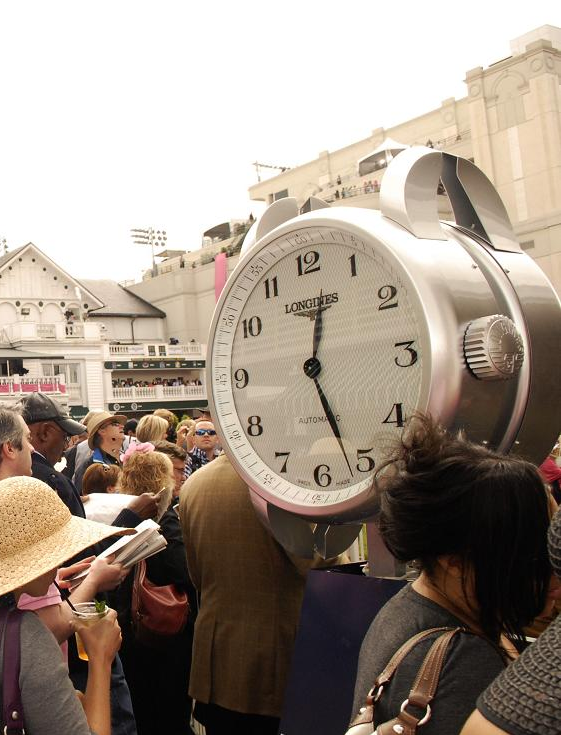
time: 12:26
